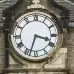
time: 3:33
